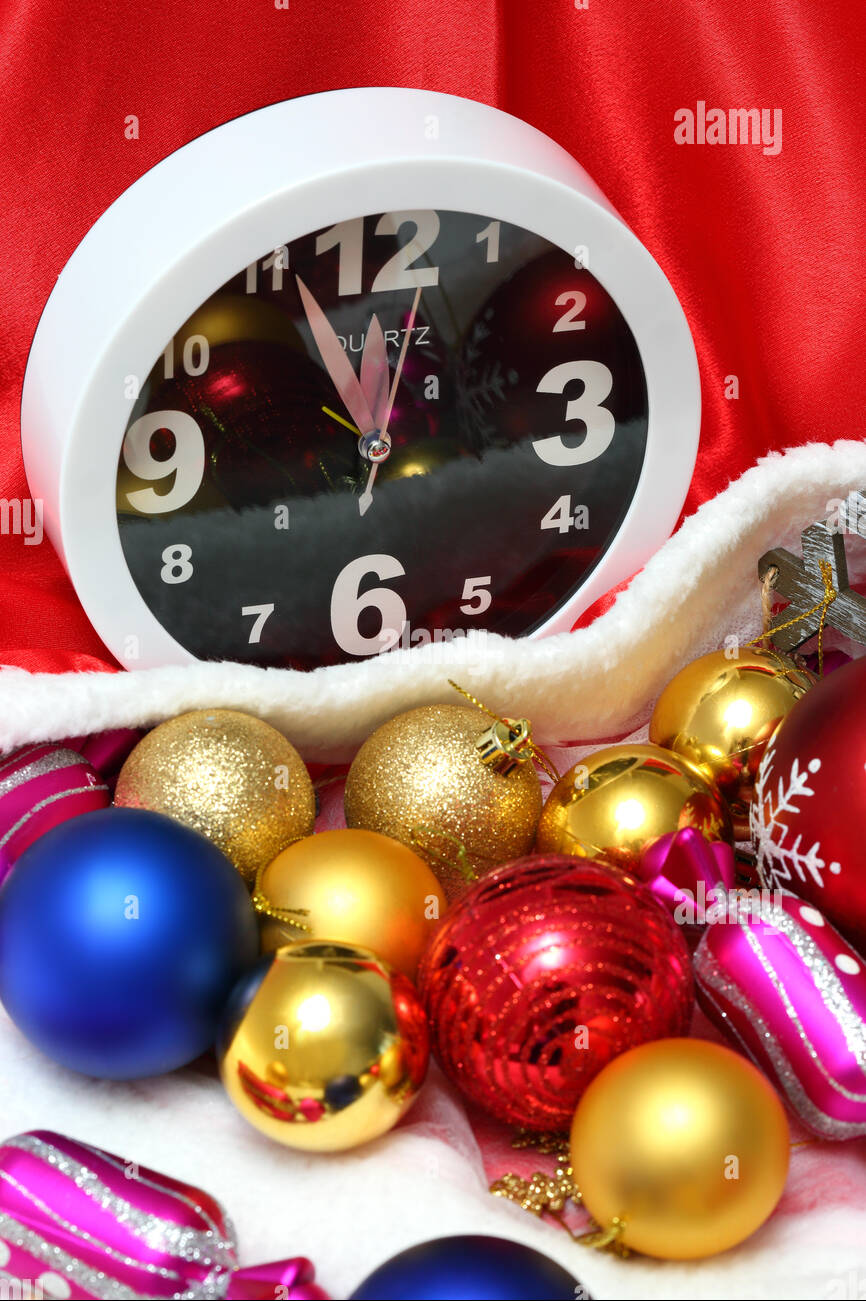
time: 11:55
